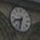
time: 8:32
